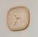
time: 10:34
